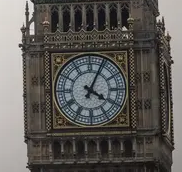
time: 4:04
